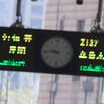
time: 9:44
